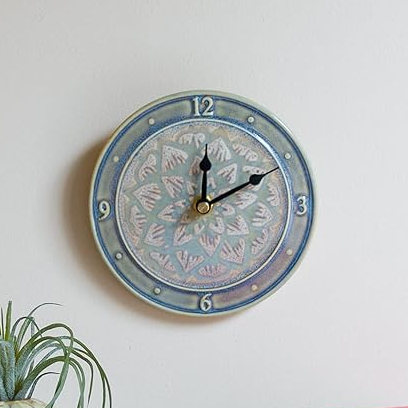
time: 12:10
